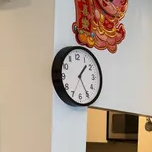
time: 1:24
